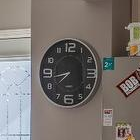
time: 7:43
